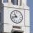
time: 10:42
